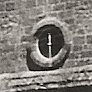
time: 6:29
